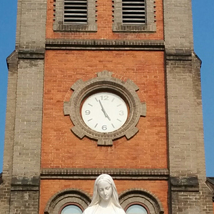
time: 4:56
